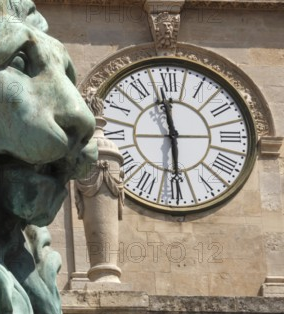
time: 11:29
